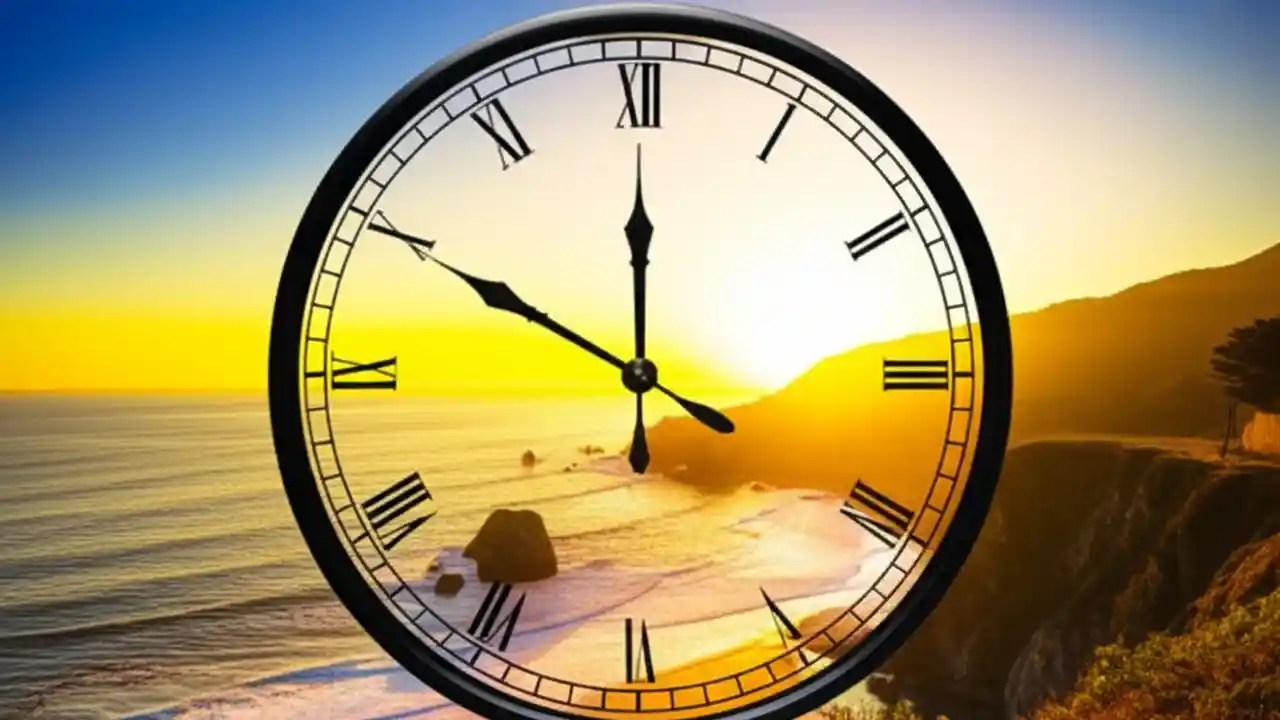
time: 11:49
